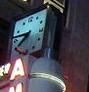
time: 7:46
